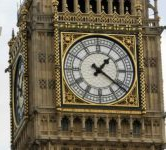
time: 1:21
